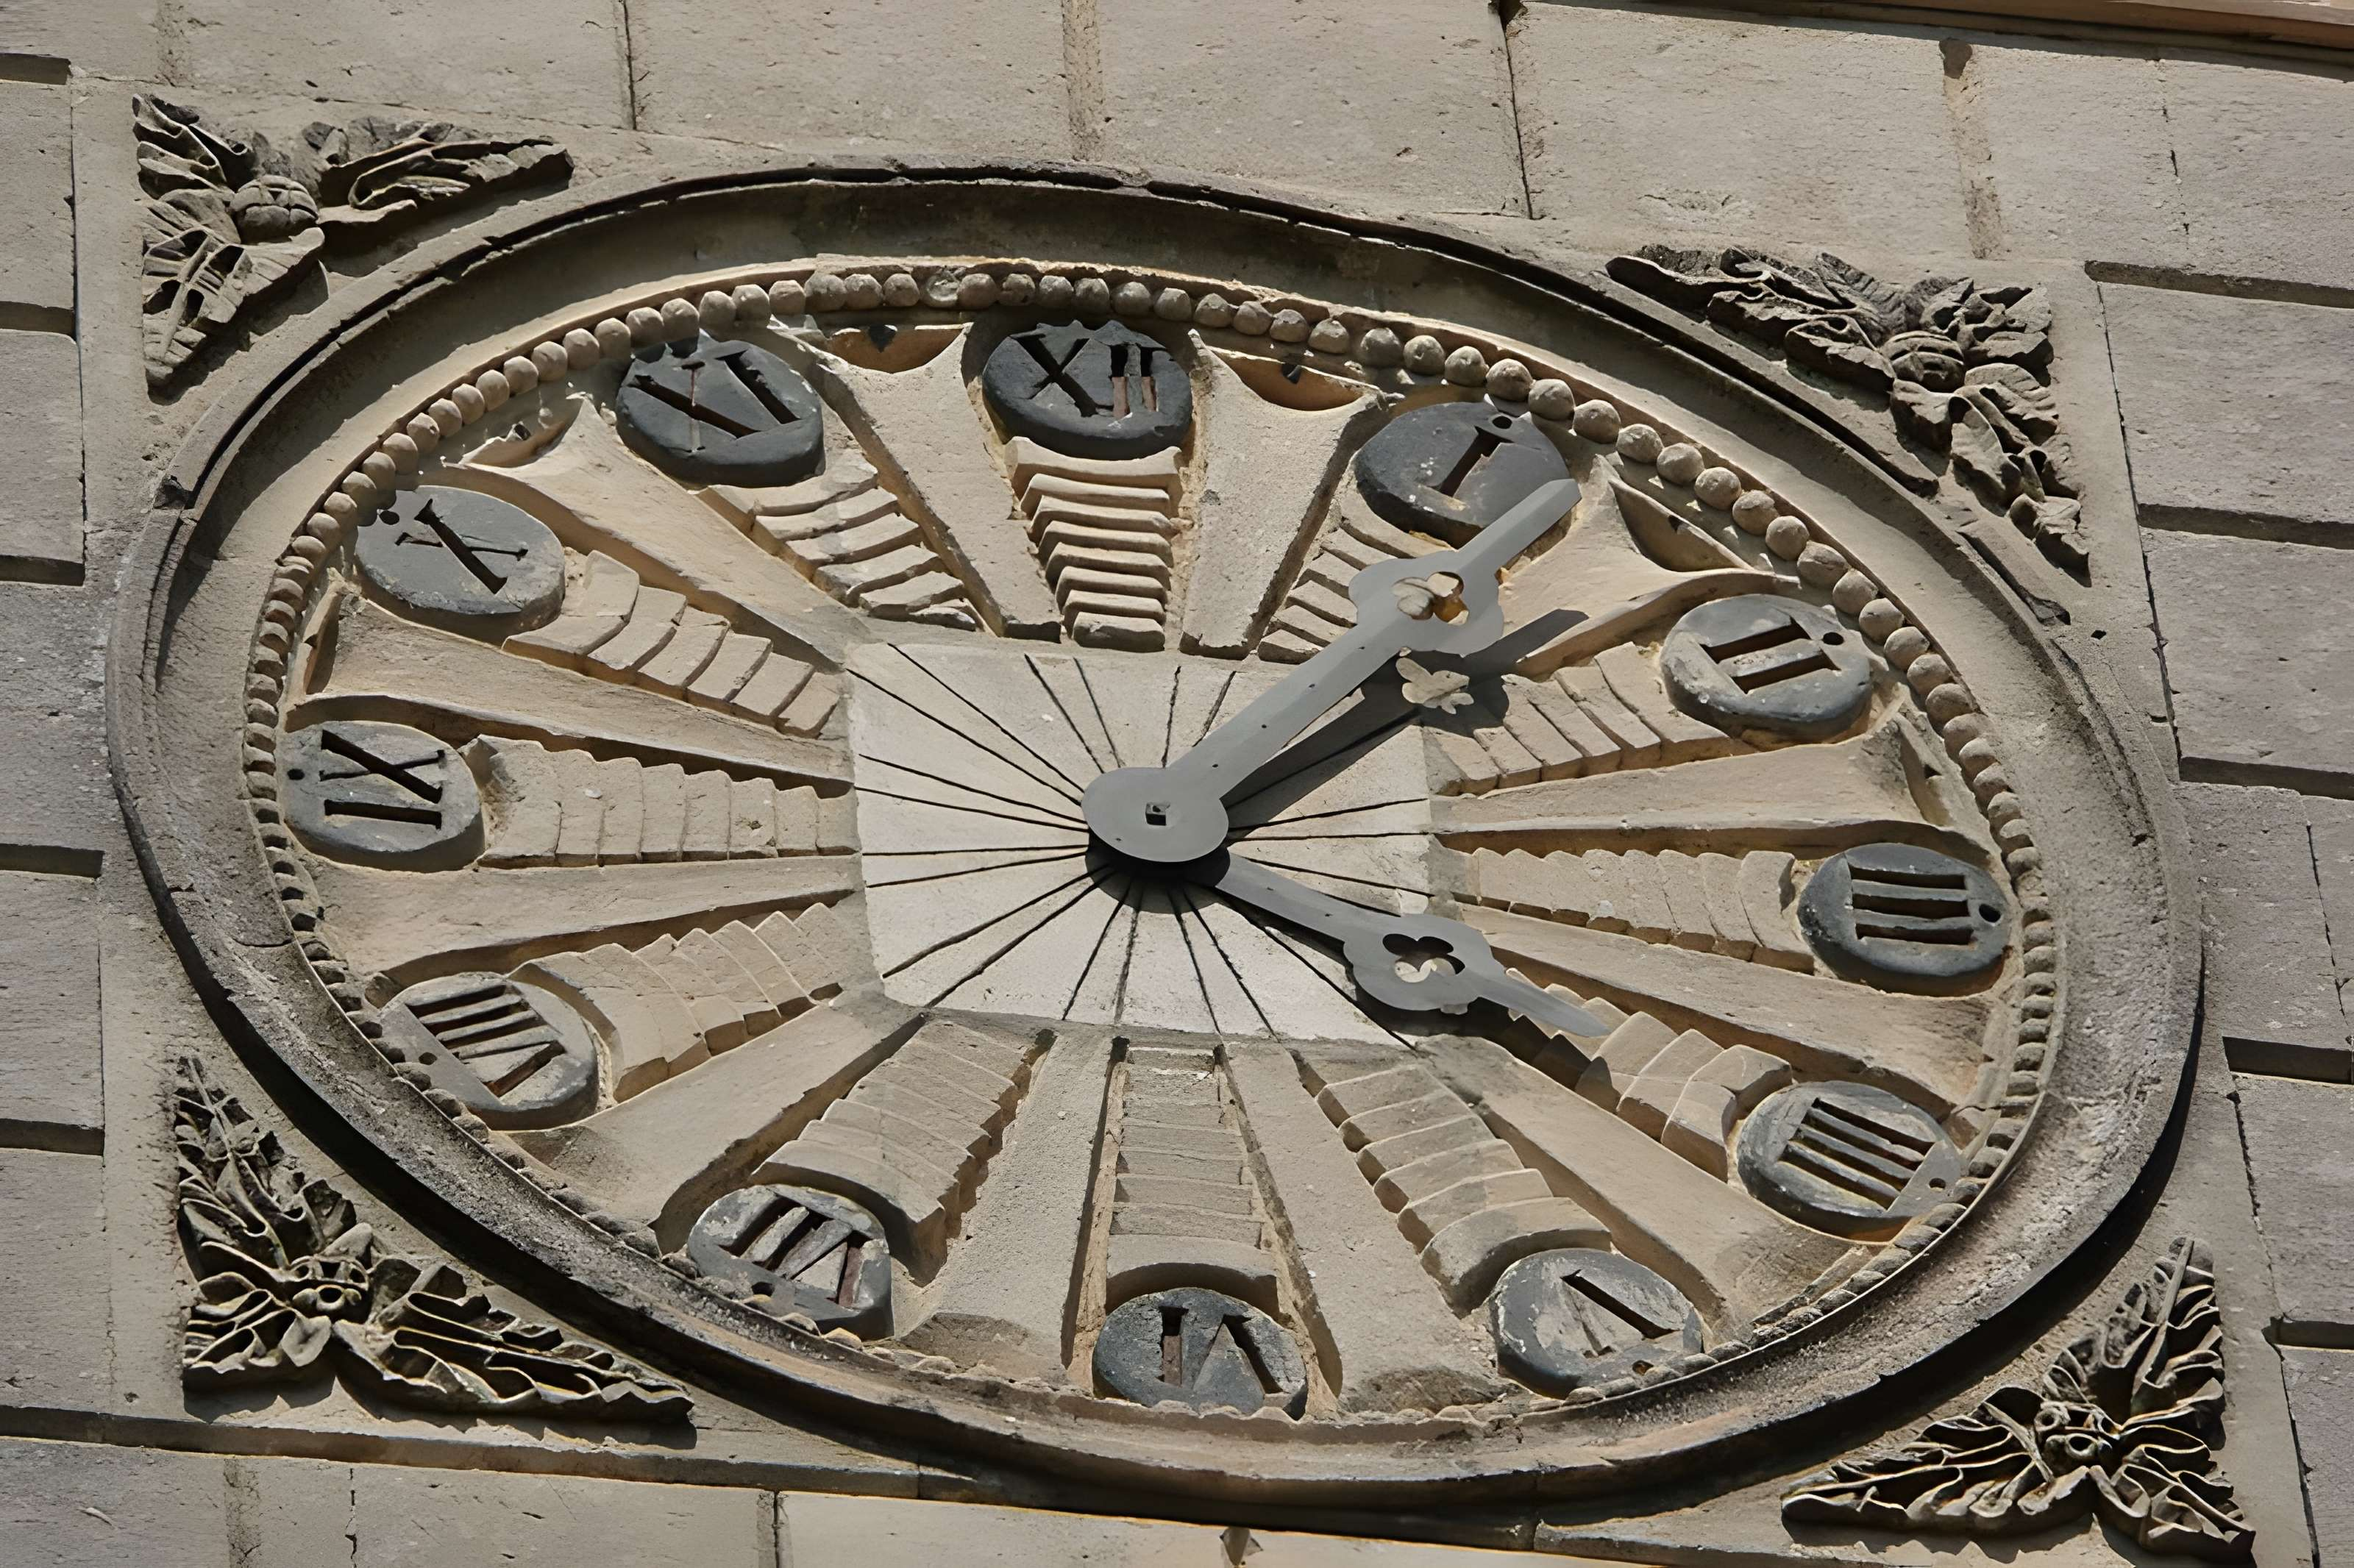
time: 4:07
